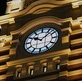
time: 10:07
